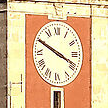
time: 3:49
